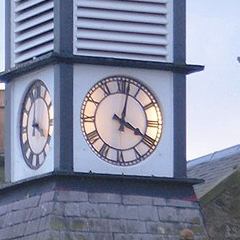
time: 4:01
